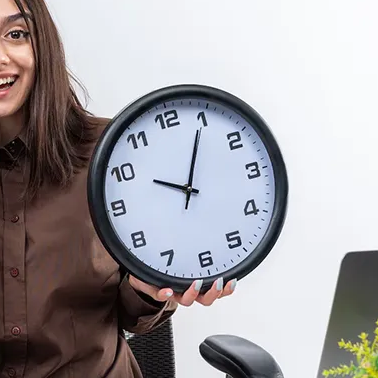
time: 10:04
